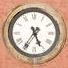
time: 5:35
